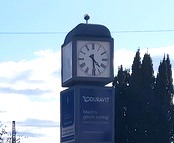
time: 4:29
